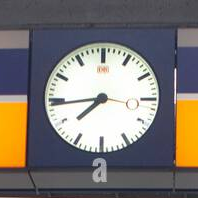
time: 7:44
